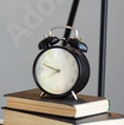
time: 7:48
